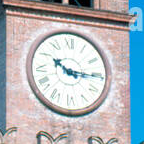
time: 10:15
